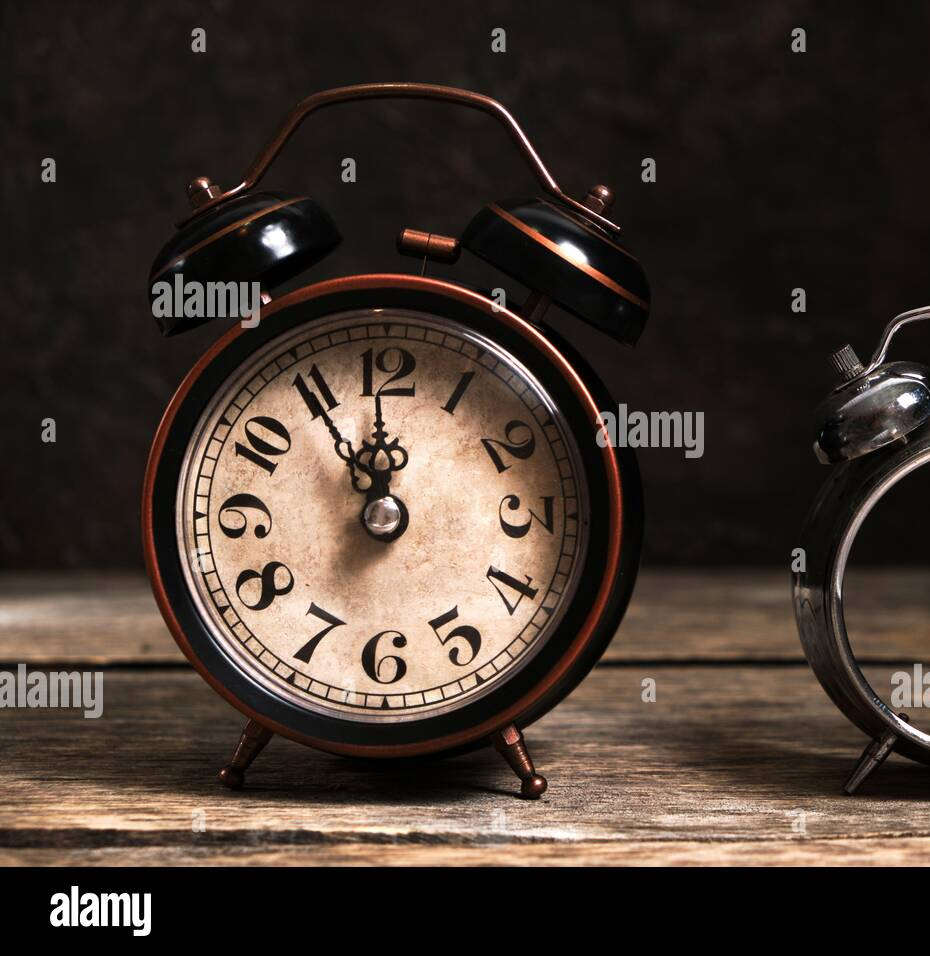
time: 11:54
